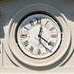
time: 12:21
